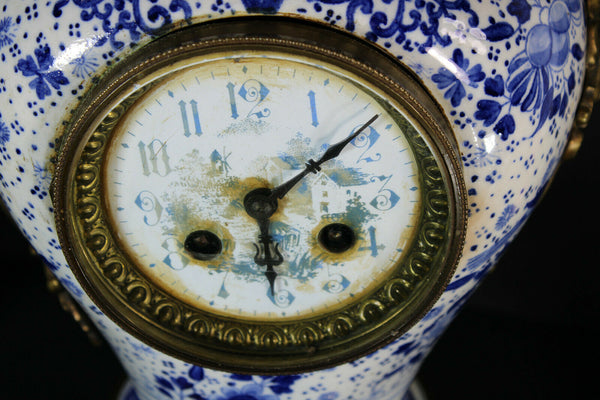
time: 6:08
